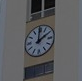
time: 2:00
